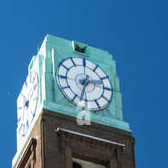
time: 2:32
